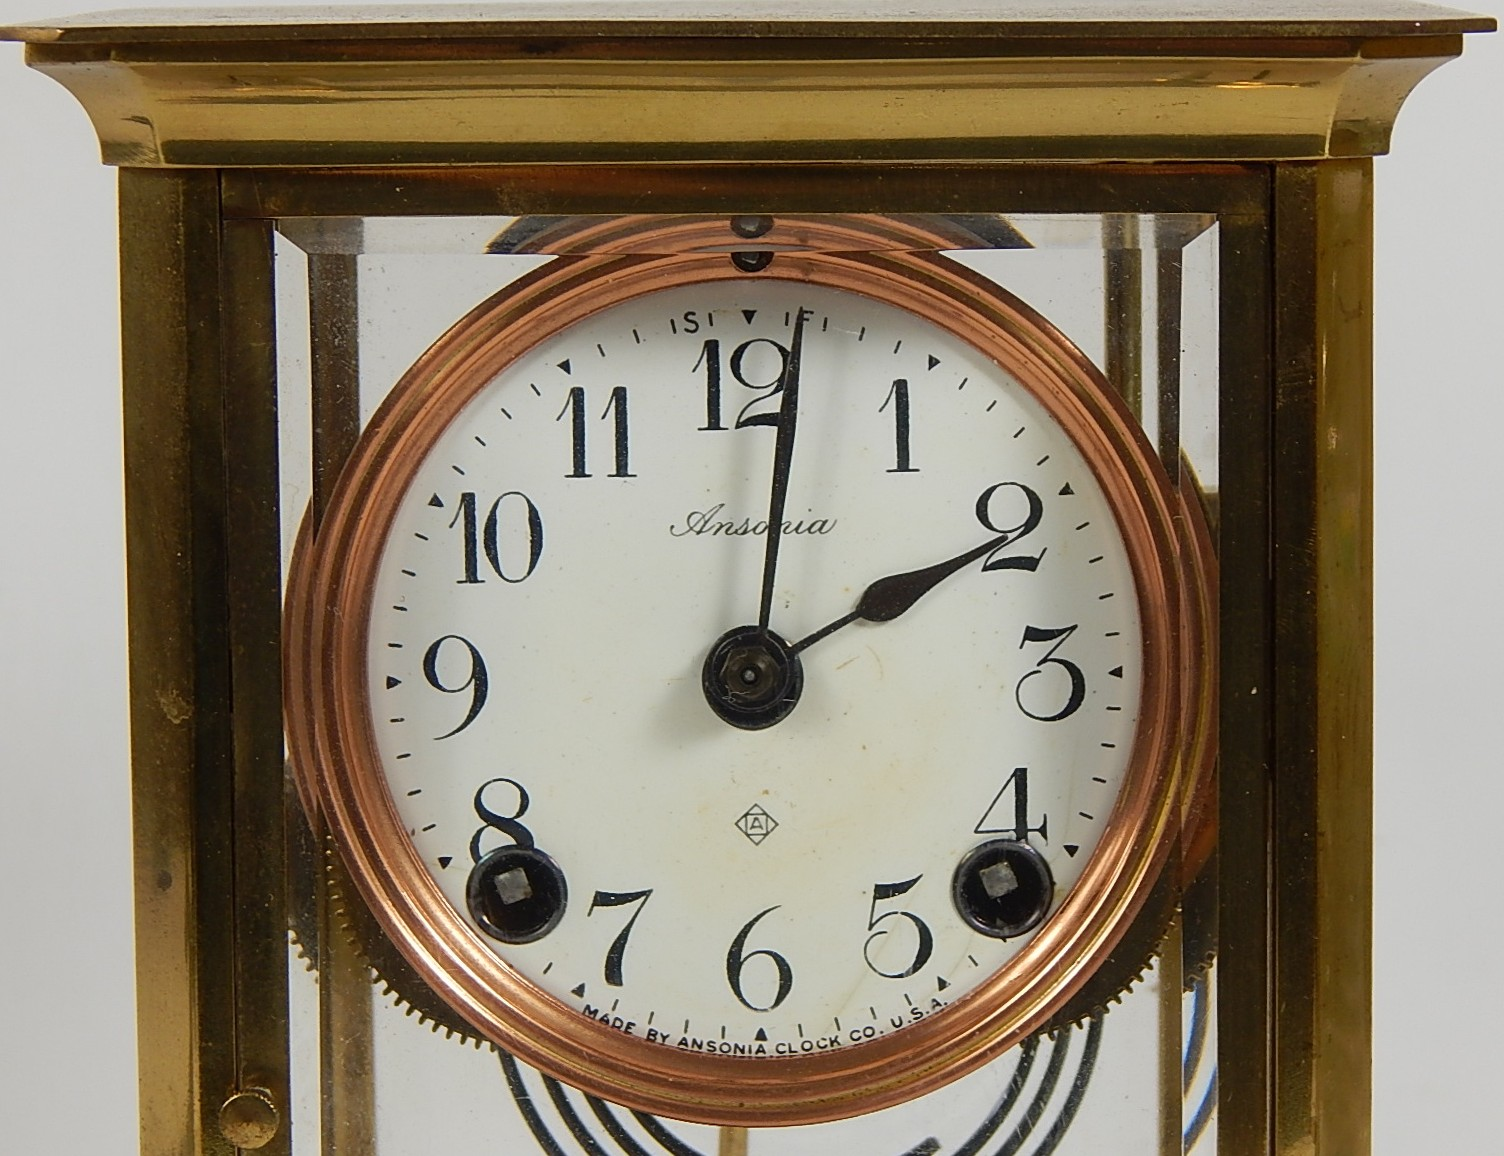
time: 2:01
